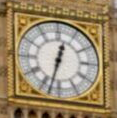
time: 12:32
